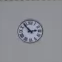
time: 2:53
